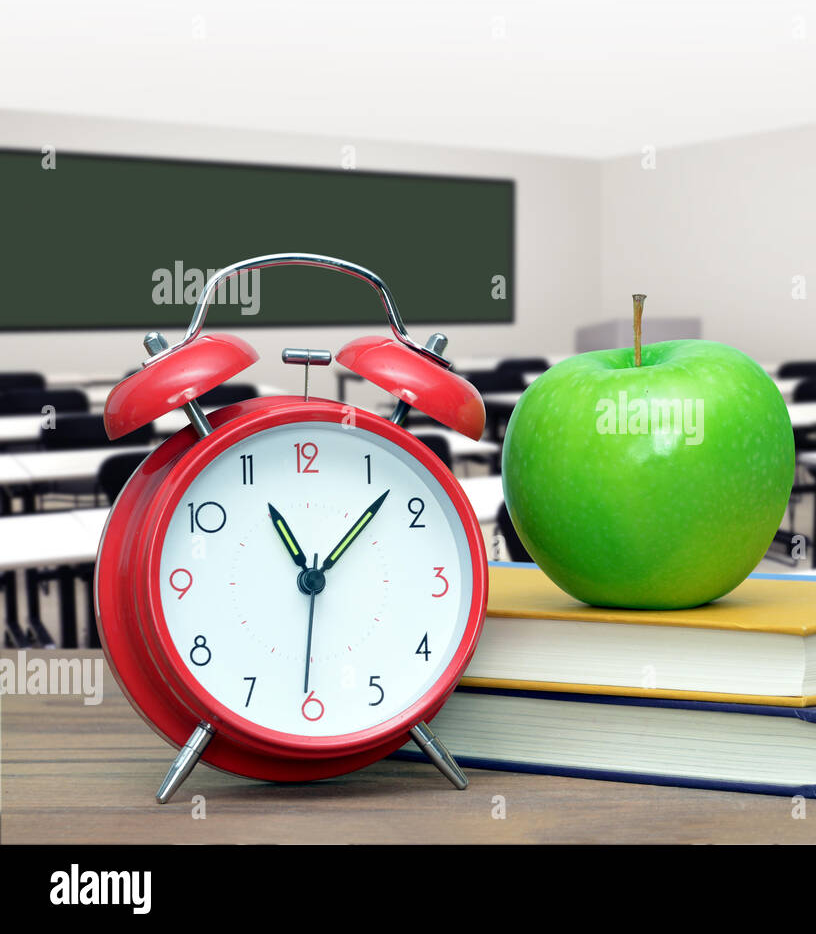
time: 11:07
